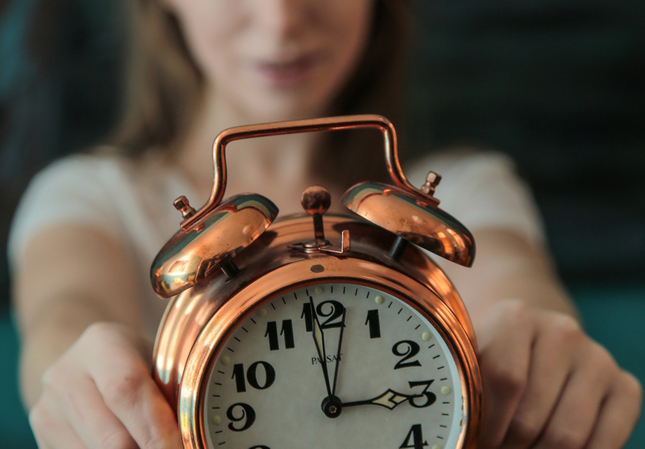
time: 2:58
